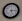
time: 5:15
